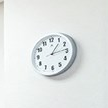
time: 1:13
